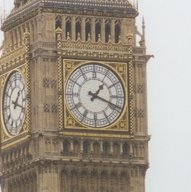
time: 1:18
